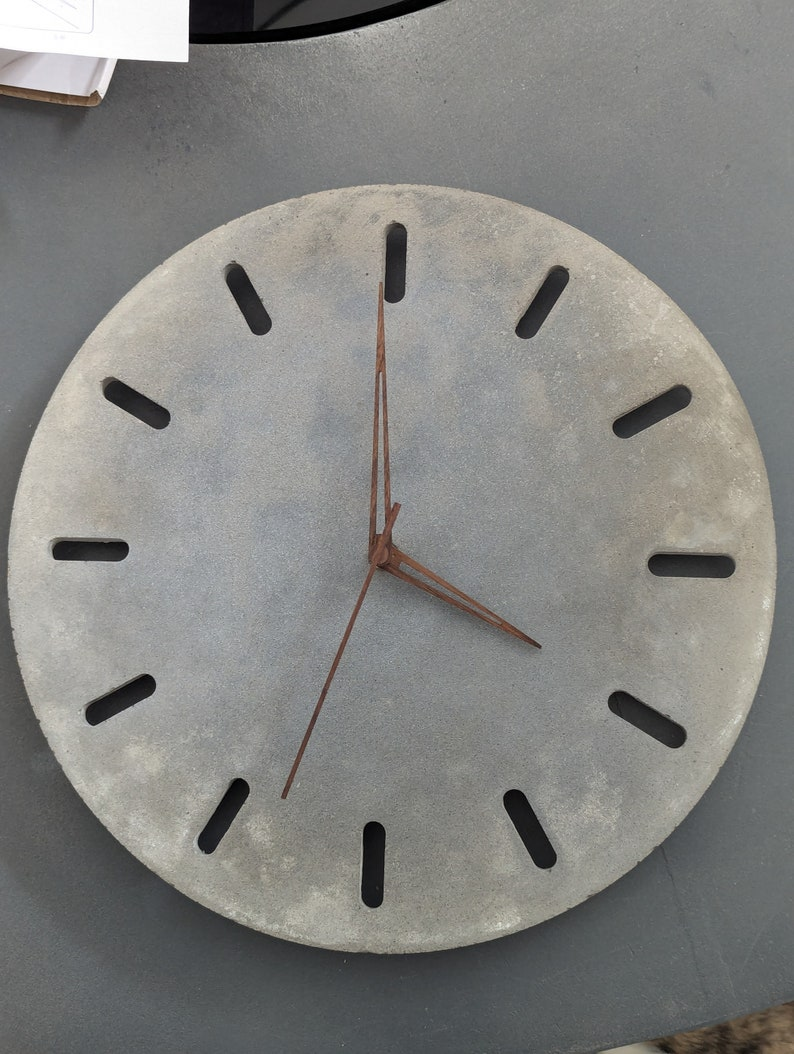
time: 3:59
